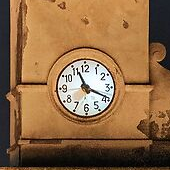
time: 11:19
